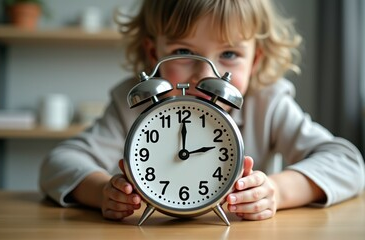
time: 12:00
